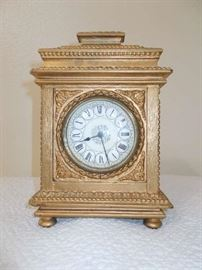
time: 8:26
